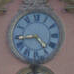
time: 4:43
